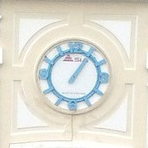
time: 1:05
